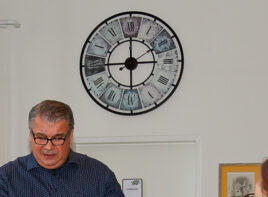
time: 2:59
